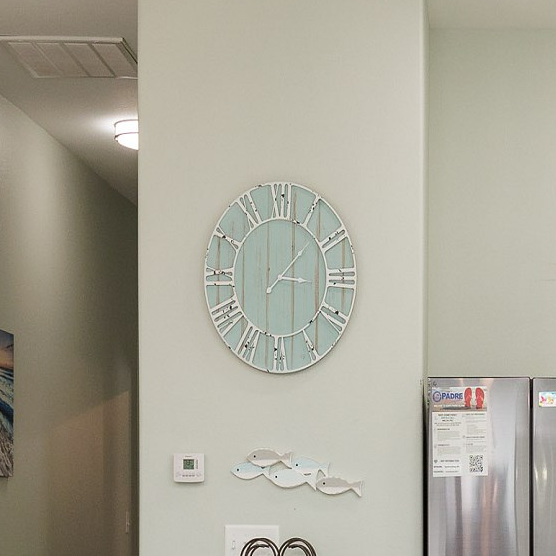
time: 2:01
